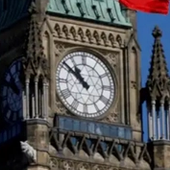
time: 10:51
